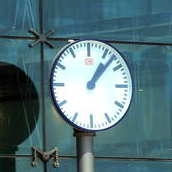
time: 1:07
